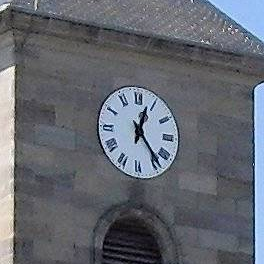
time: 12:23
